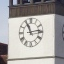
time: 11:13
